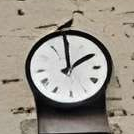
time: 1:59
